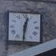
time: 12:30
